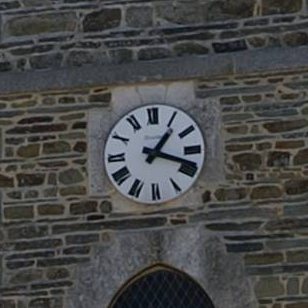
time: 1:18
